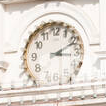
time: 3:11
